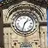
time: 1:33
